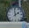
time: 1:59
